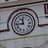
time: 11:45
